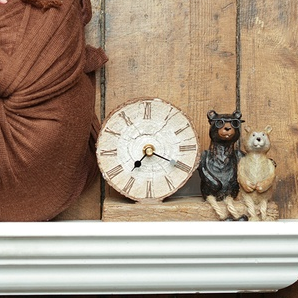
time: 7:19
